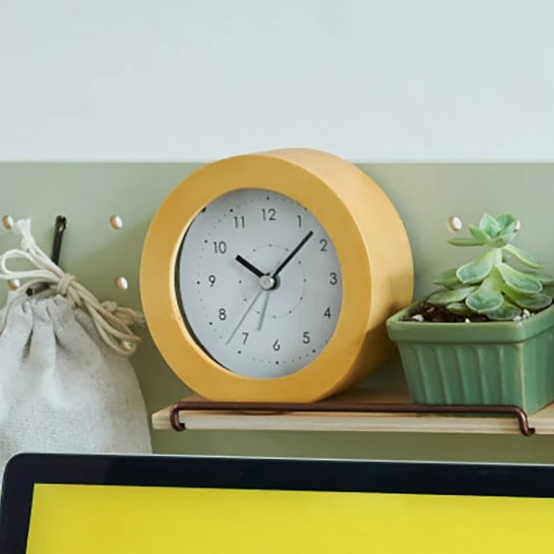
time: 10:07
